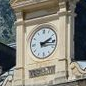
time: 2:16
